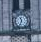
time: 11:33
